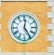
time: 12:24
